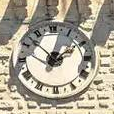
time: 1:52
